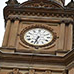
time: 6:32
